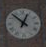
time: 12:52
